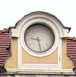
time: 9:28
